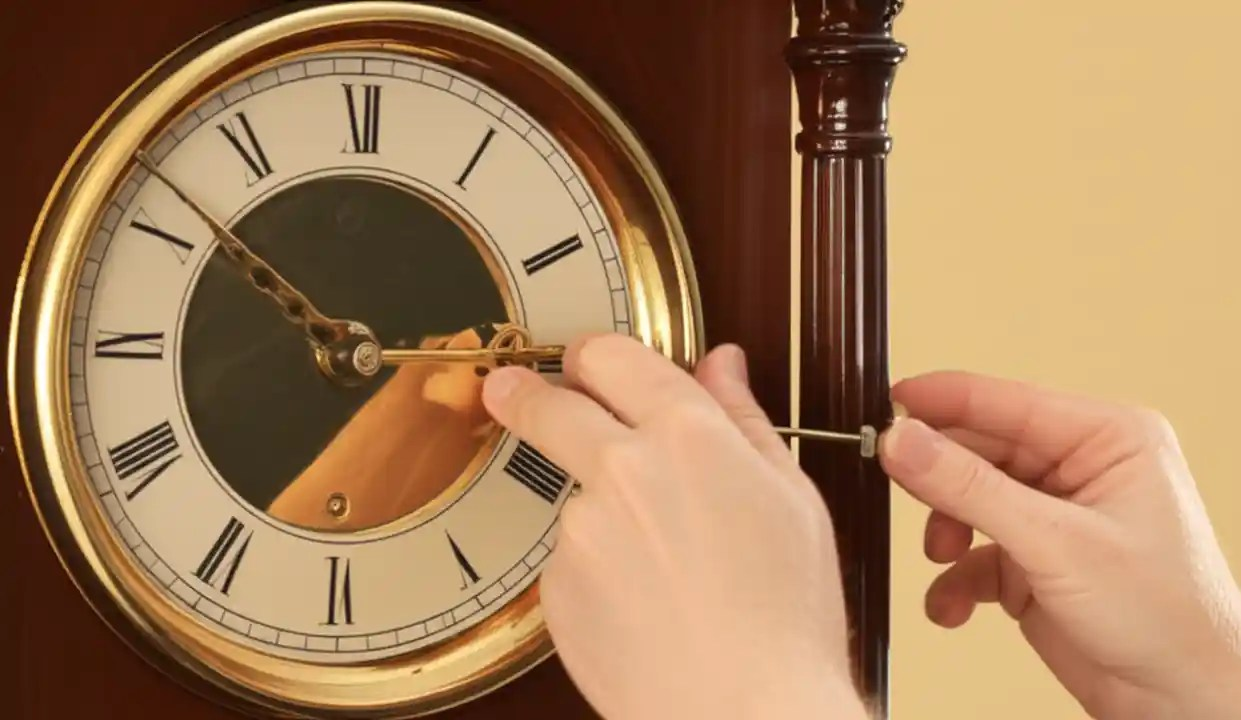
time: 2:51
